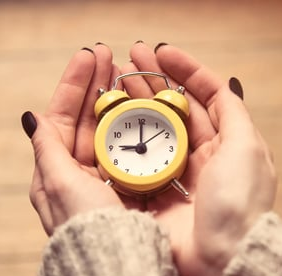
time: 9:00
